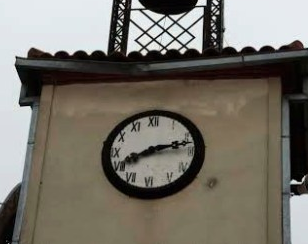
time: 8:12
